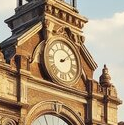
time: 2:09
